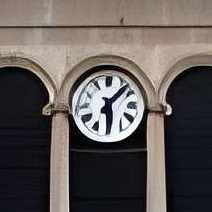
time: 1:29
